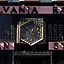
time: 12:52
